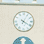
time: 4:04
